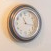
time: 11:17
